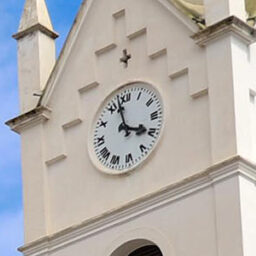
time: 3:57
